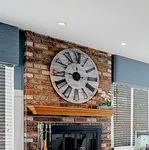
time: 11:46
